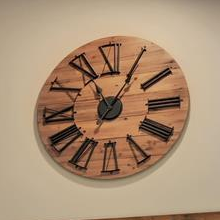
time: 11:05
